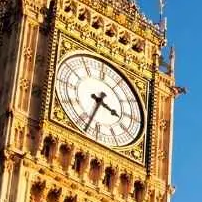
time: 3:33
